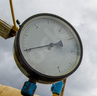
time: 2:40
